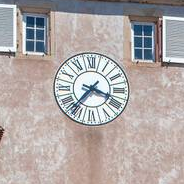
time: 3:36
